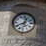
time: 12:40
